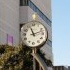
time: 11:12
